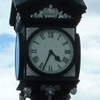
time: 4:34
